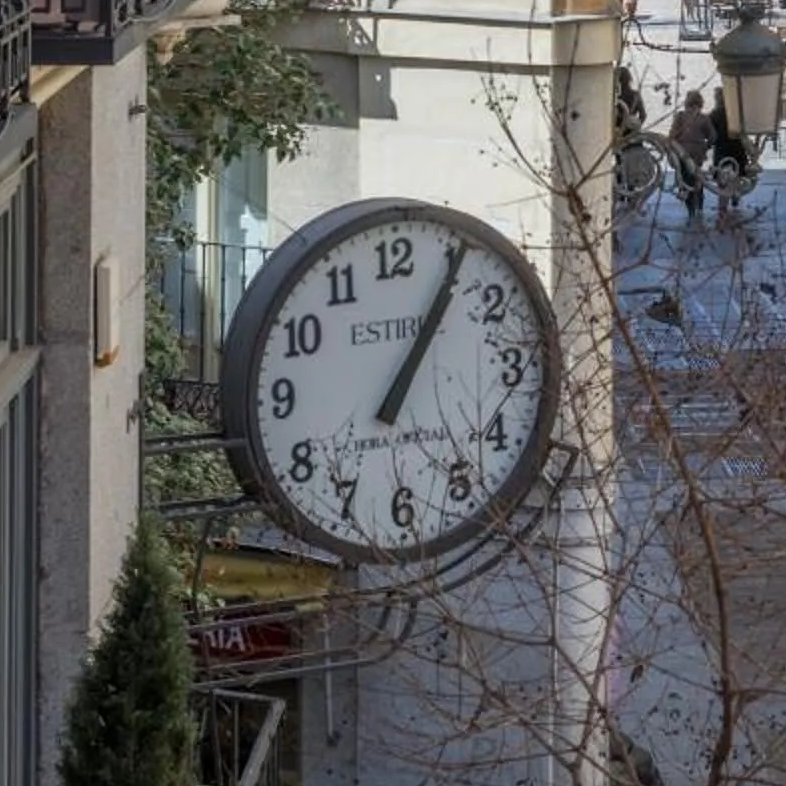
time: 1:05
